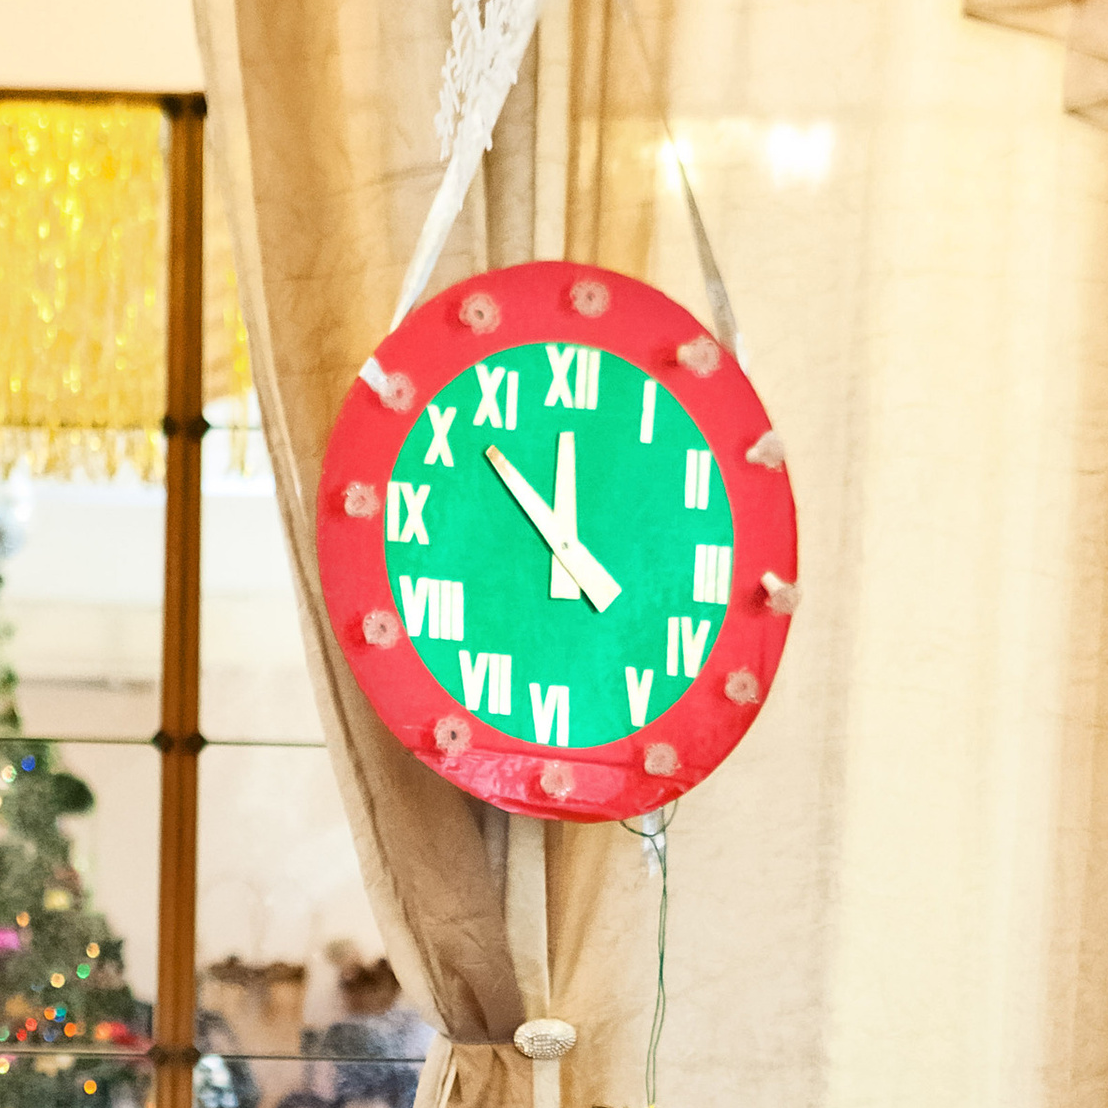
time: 11:51
